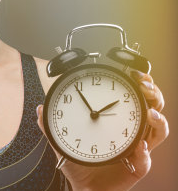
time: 1:54
